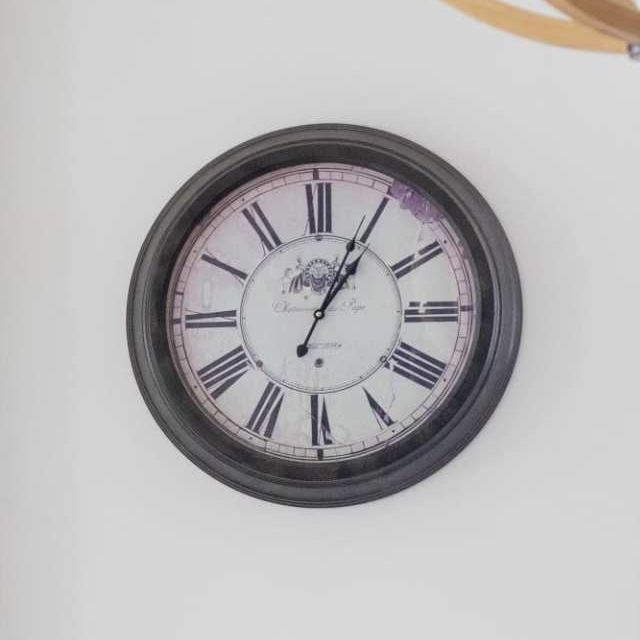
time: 1:04
